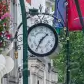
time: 1:35
